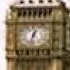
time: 12:32
